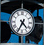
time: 4:34
